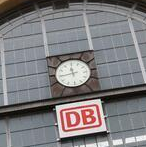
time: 11:44
